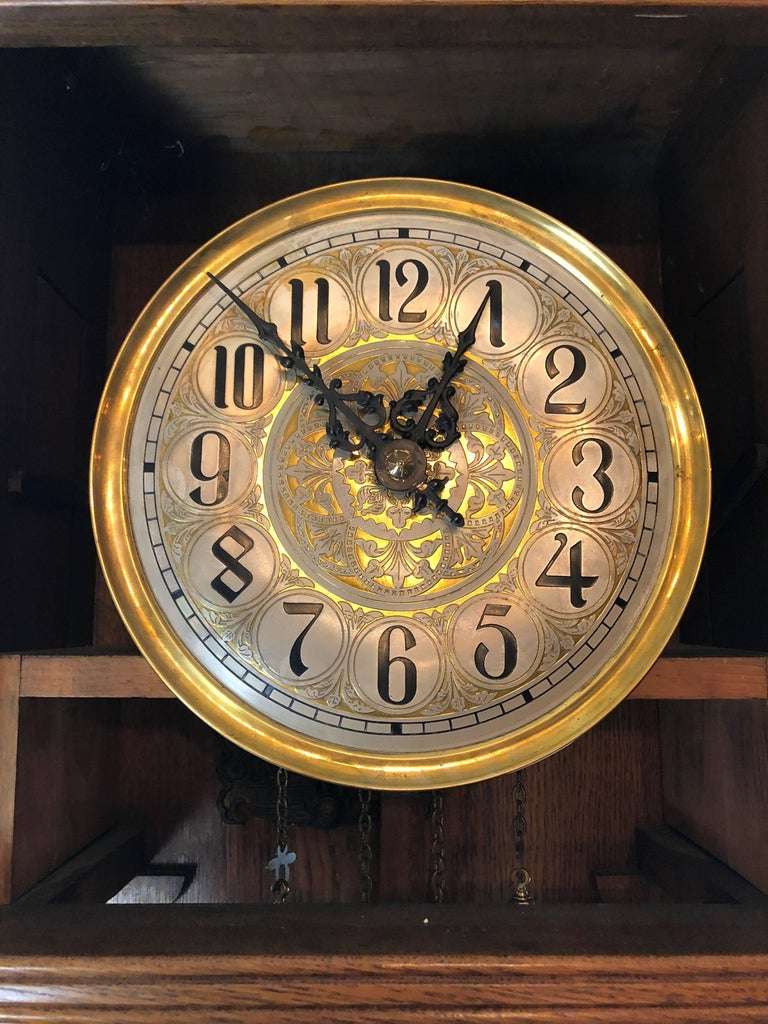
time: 12:52
